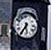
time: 5:35
